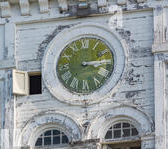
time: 3:13
